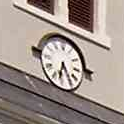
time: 6:24
